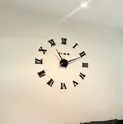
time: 11:10
